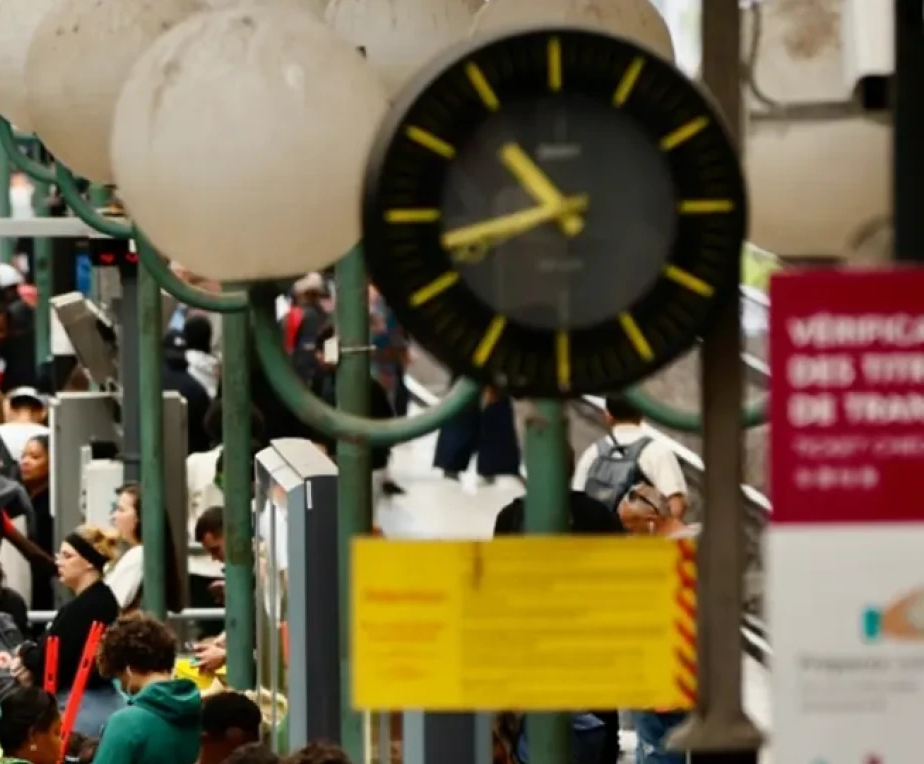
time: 10:42
